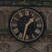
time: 1:32
